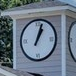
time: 1:03
